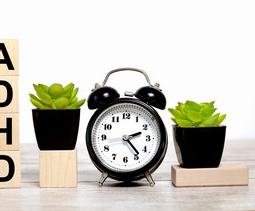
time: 2:23
